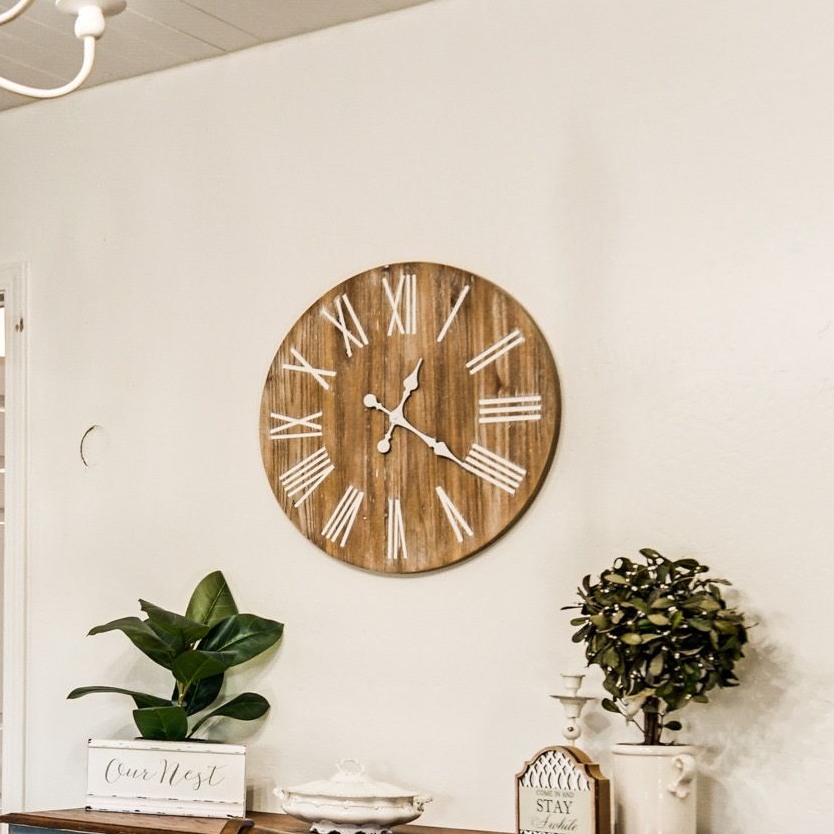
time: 12:20
